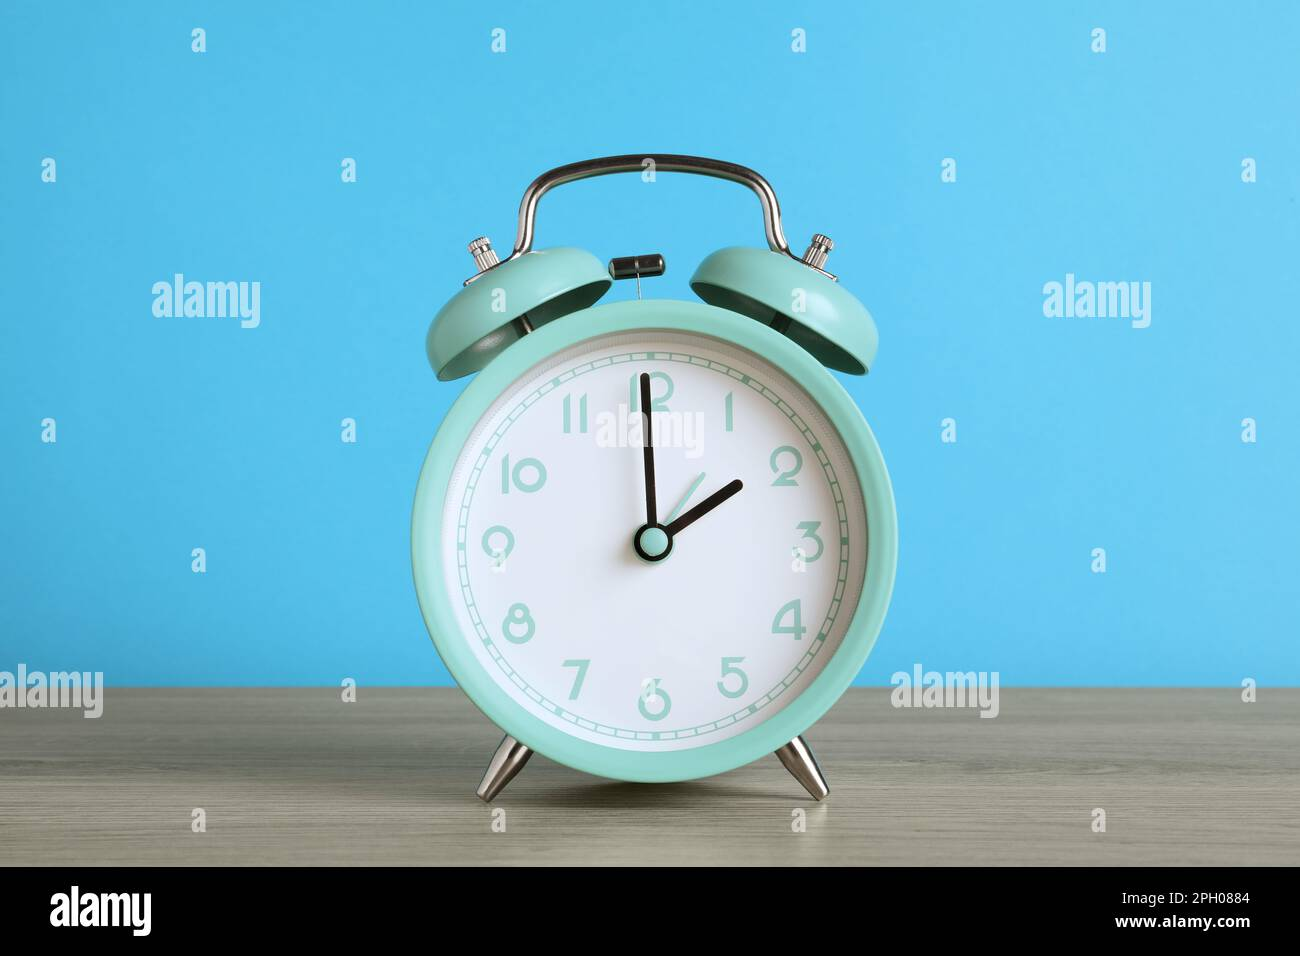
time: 2:00
